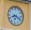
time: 8:18
